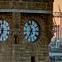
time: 6:56
